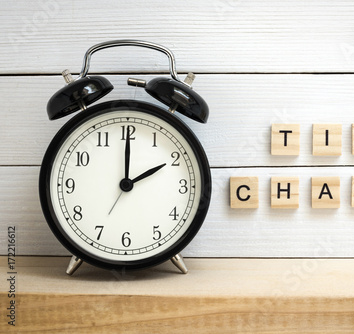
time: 2:00
